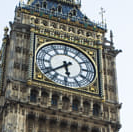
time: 5:38
